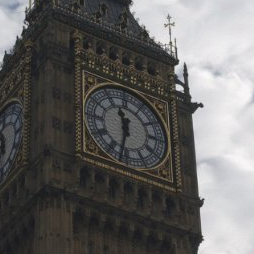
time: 11:32
